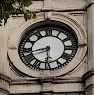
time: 8:29
